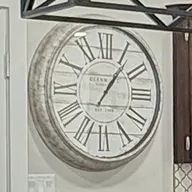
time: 1:05
